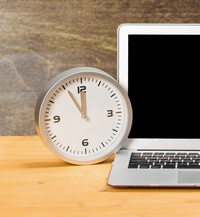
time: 11:55
